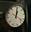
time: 1:02
